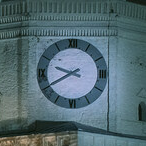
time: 9:40
